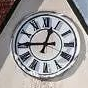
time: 12:45
